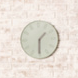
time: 1:30
